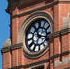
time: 11:17
